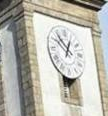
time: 12:53
